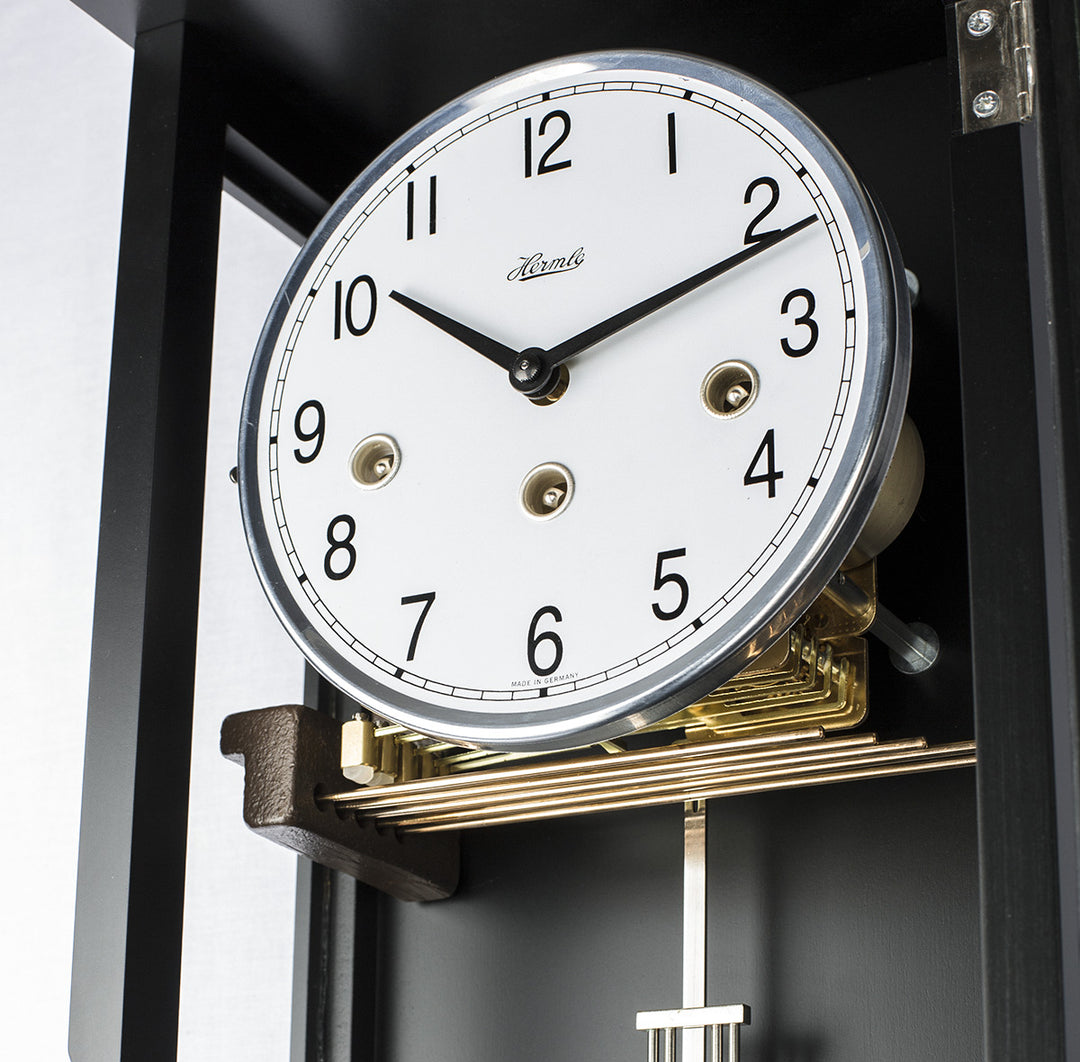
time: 10:11
